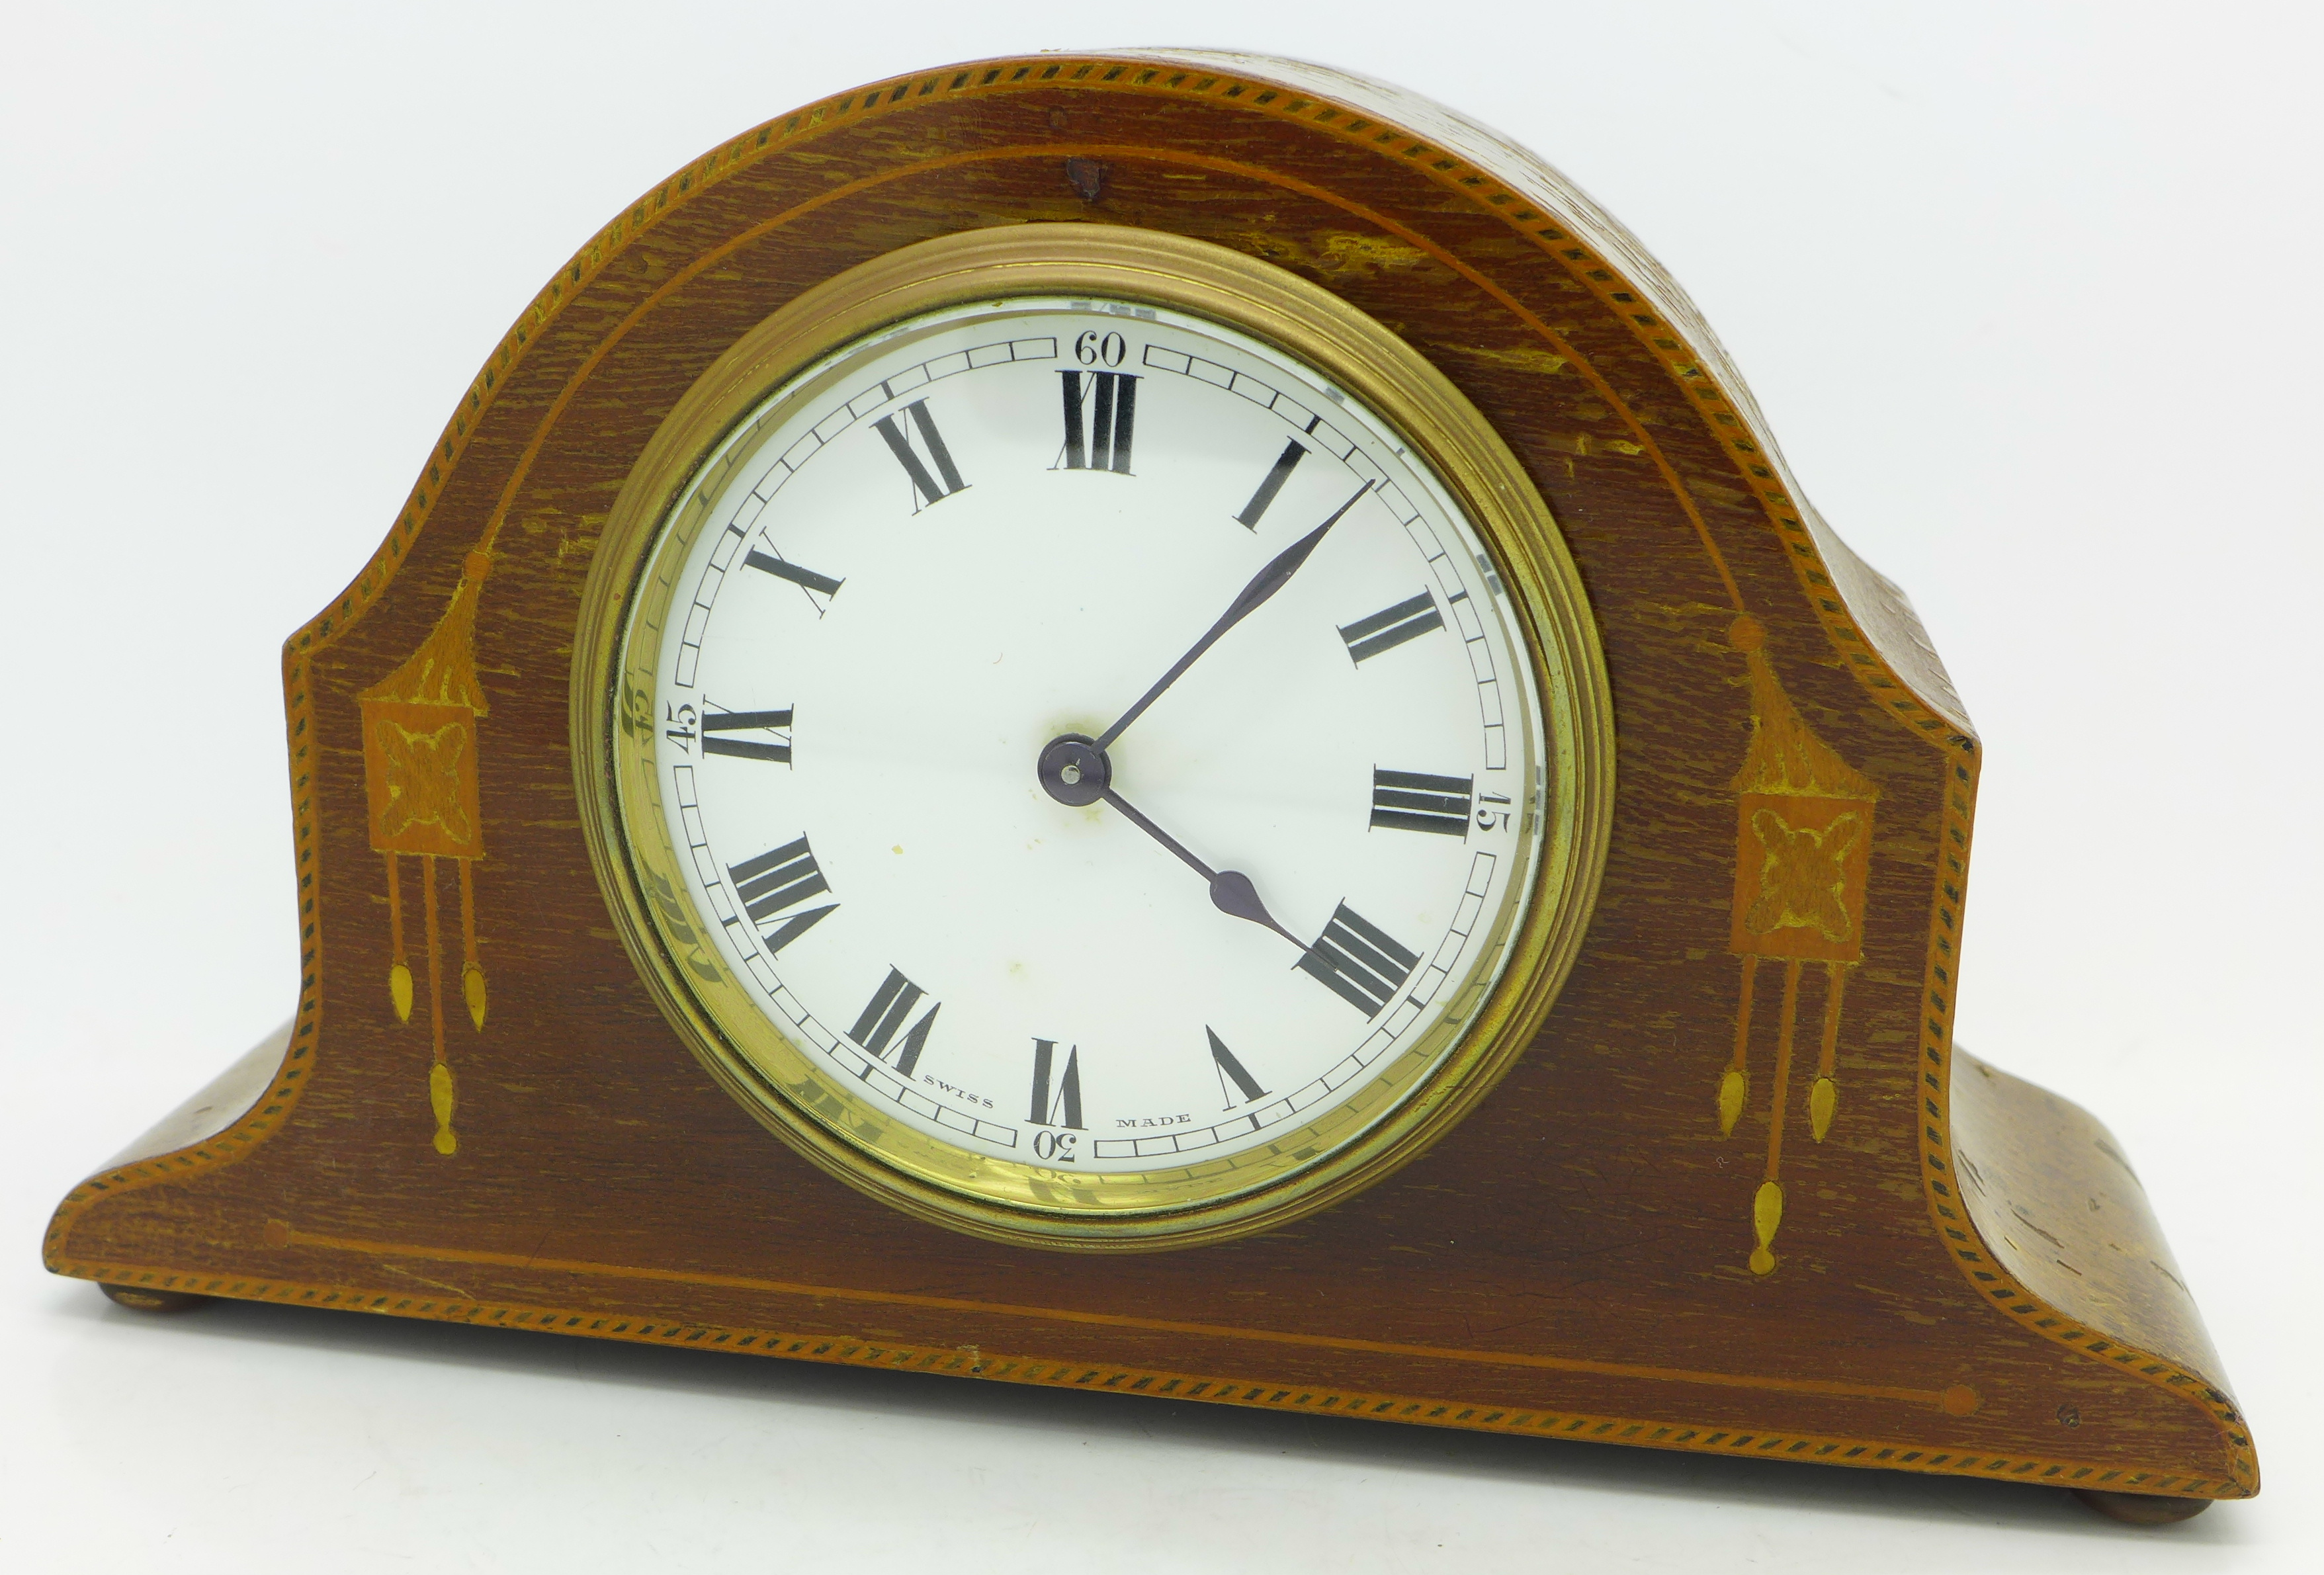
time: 4:06
